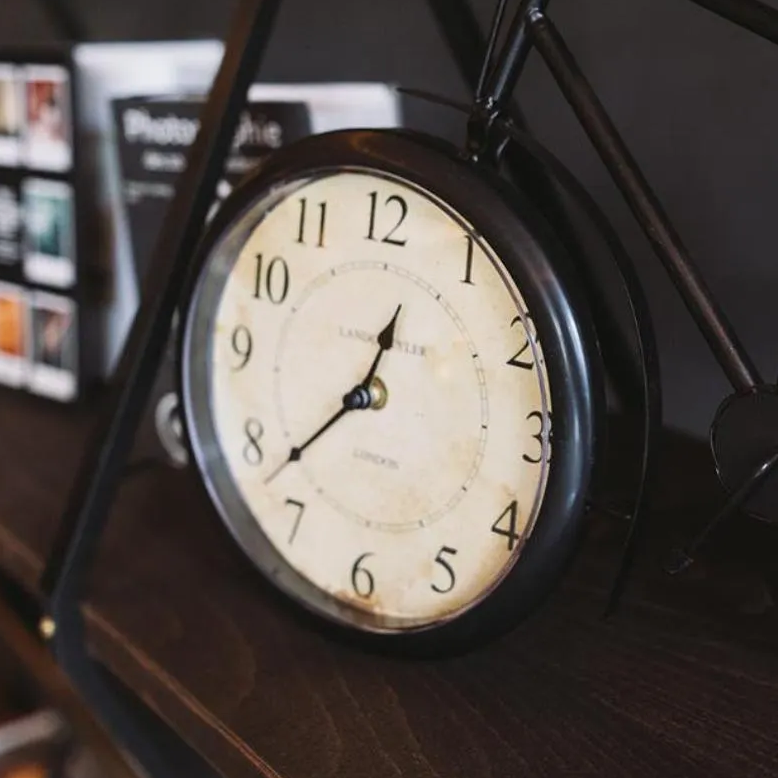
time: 12:37
